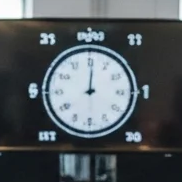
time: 12:00
